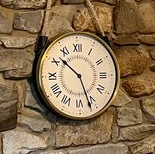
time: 10:26
